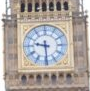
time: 9:29
